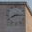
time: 8:14
